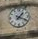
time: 1:18
